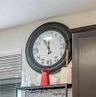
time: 11:55
